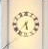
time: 5:36
